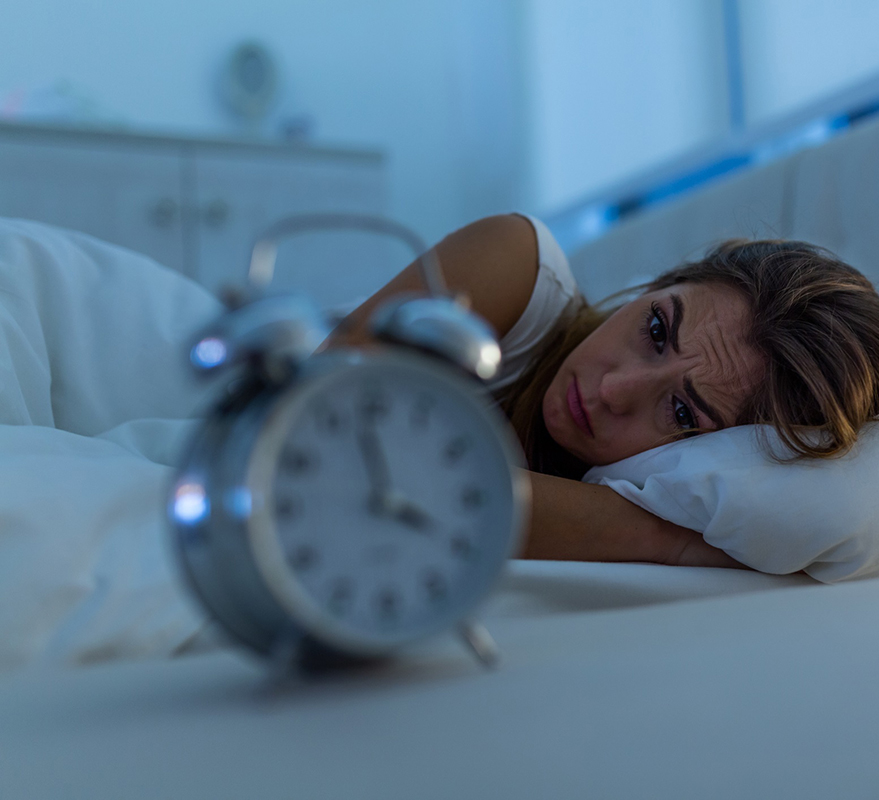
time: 3:58
